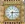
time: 6:14
